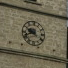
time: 9:41
